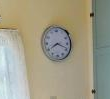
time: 8:18
